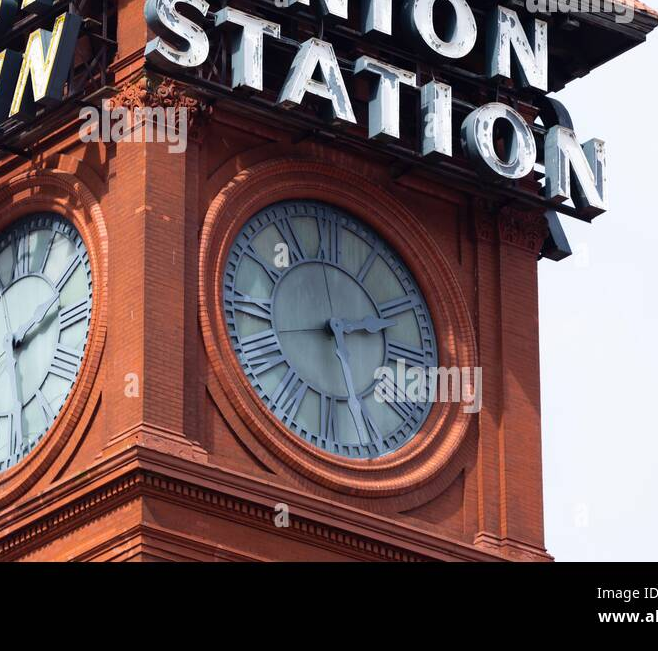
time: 2:42
